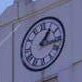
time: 1:16
